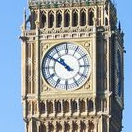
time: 10:50
